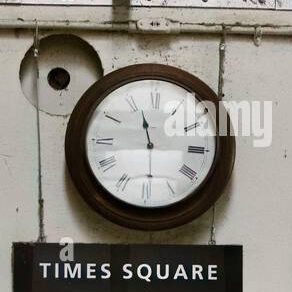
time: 11:29
